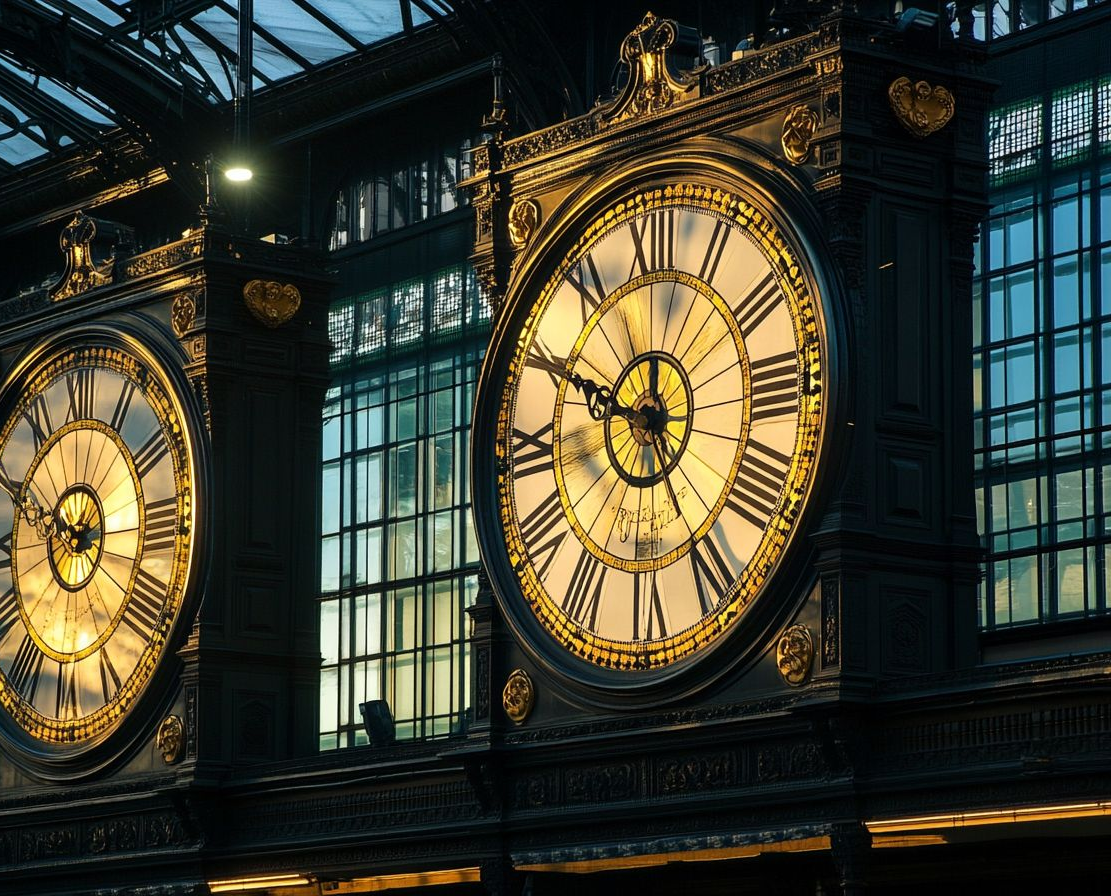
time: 11:49
